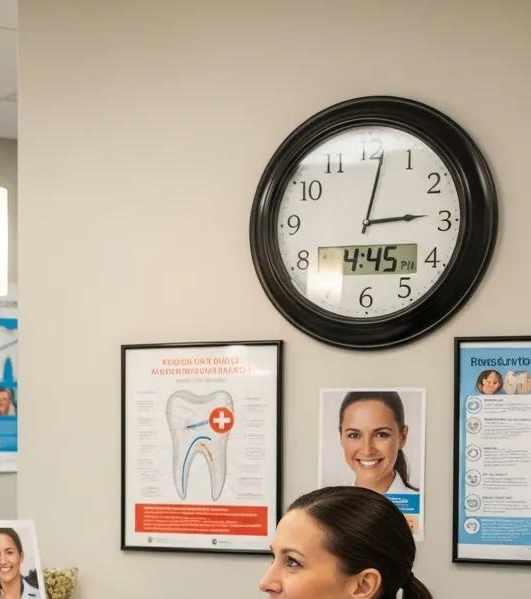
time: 3:01
